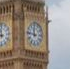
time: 11:46
